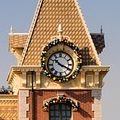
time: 10:19
